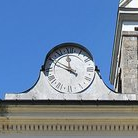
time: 11:49
